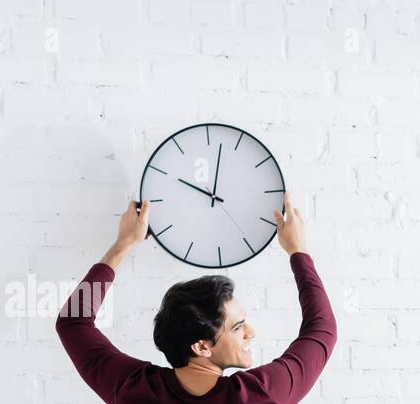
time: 10:02
